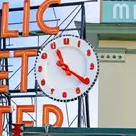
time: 11:20
